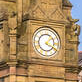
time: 1:18
